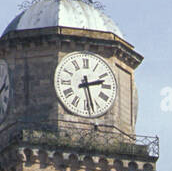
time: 2:27
